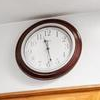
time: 11:28
